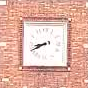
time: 8:40
